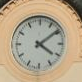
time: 4:09
